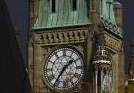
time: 1:36
